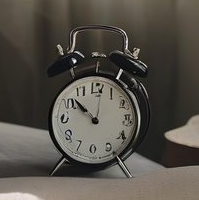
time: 9:51
